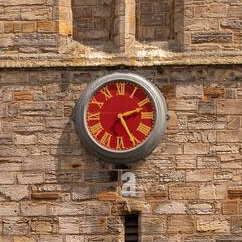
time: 2:25
